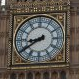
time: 8:39
